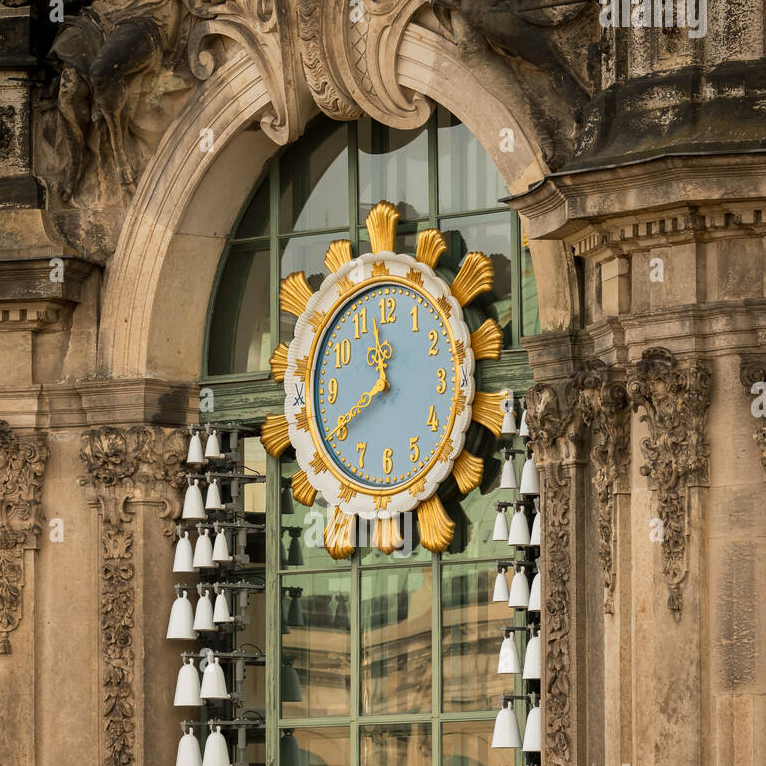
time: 11:40
